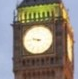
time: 9:45
